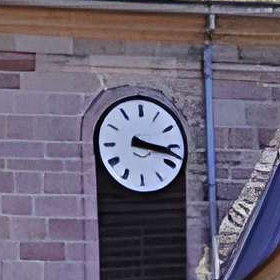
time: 3:17
